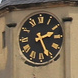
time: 2:25
